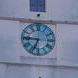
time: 6:45
